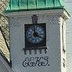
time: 3:58
